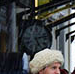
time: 5:12
